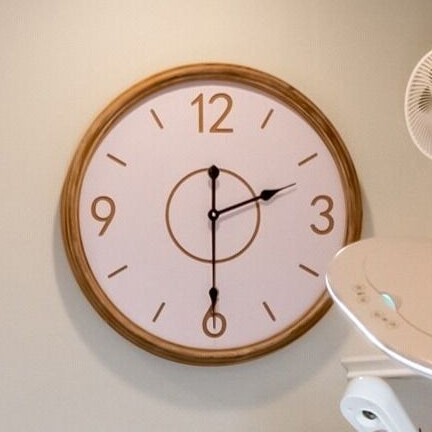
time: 2:30
